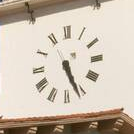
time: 5:26
